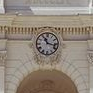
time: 11:17
